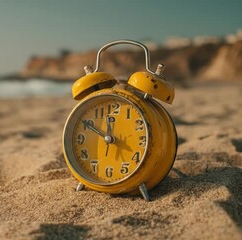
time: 11:50
